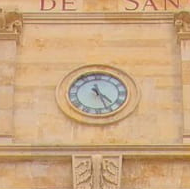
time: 4:26
